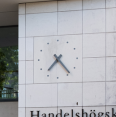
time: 7:23
